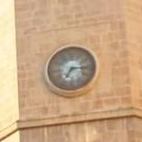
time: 7:14
